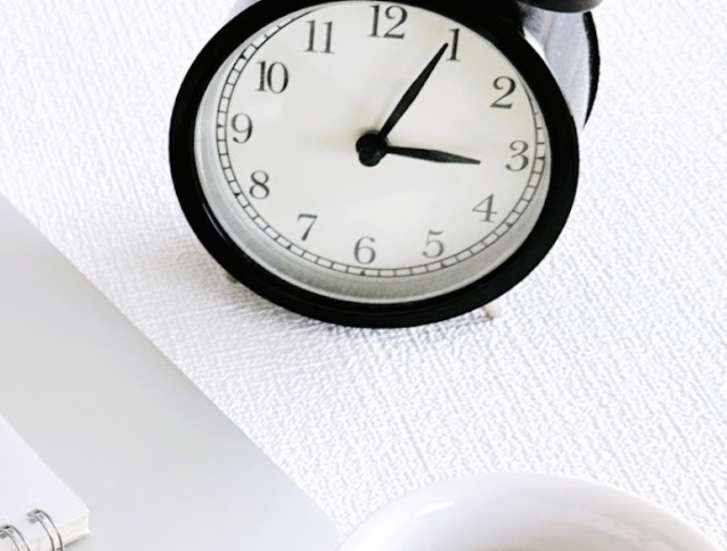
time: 3:04
